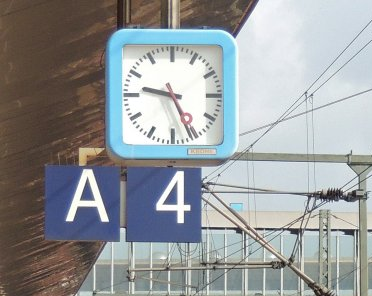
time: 9:25
